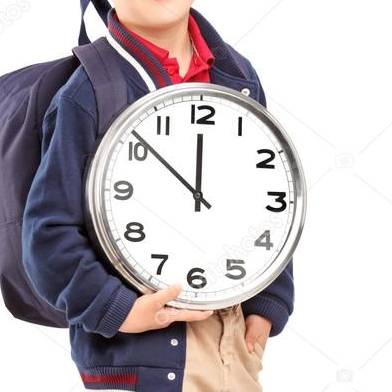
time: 11:51
